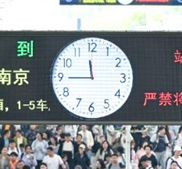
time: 11:44
